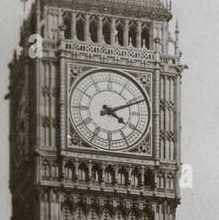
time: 4:11
